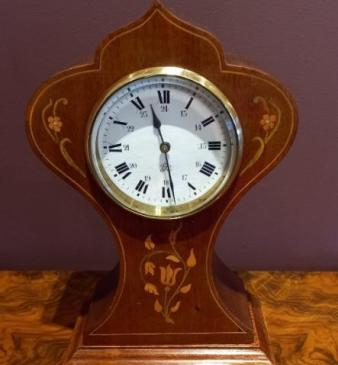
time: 11:28
